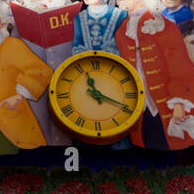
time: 11:19
